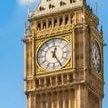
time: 12:24
